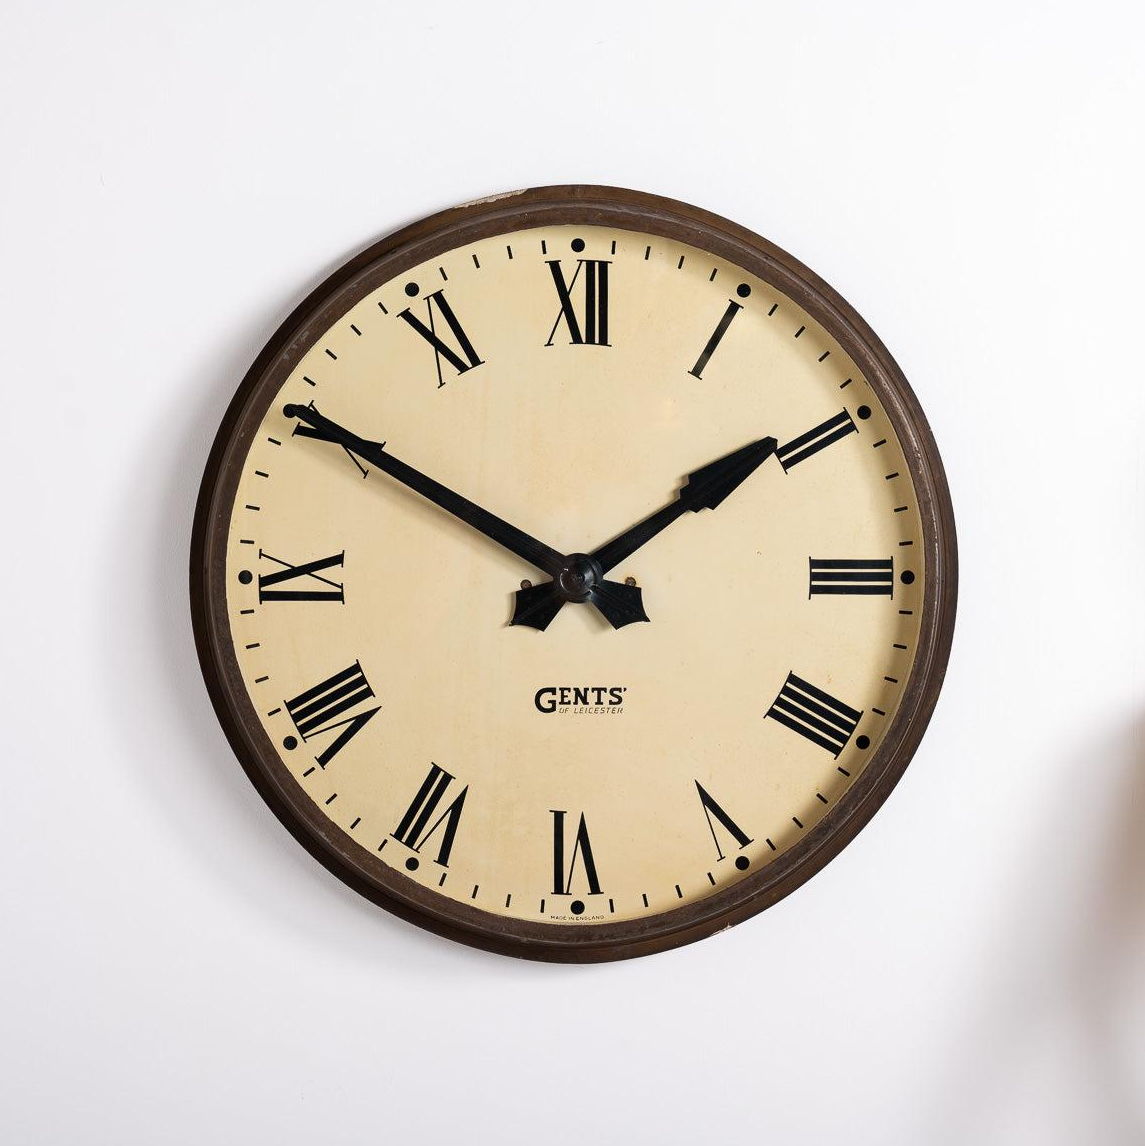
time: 1:50
